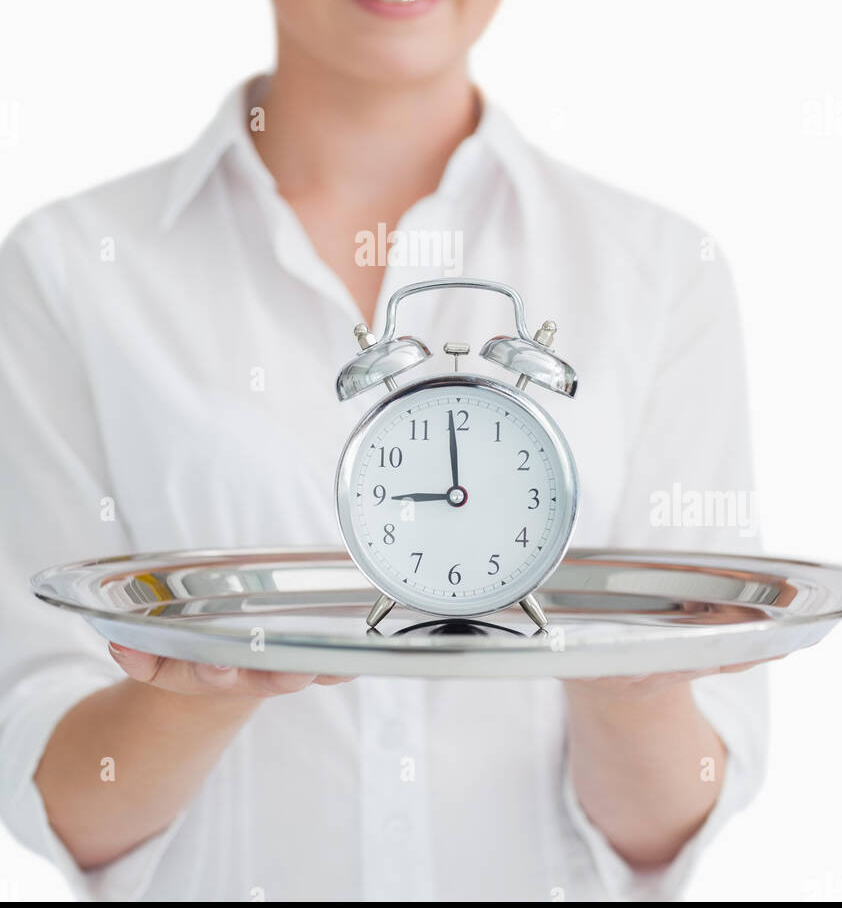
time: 8:59
